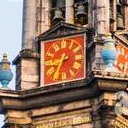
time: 8:35
